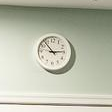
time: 2:53
